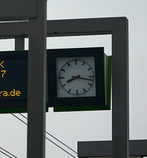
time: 8:17
